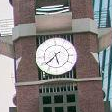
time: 5:38
